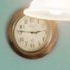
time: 2:46
